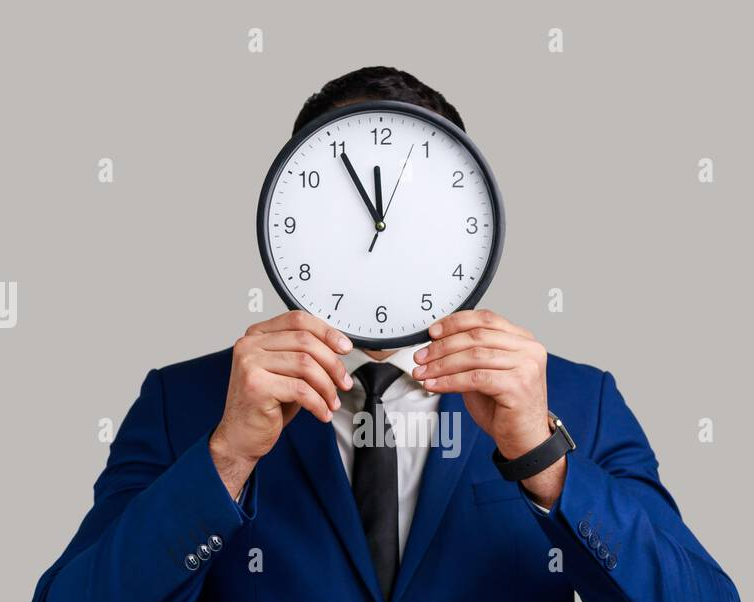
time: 11:54
